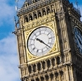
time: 10:22
